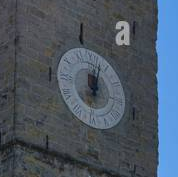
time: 12:02
